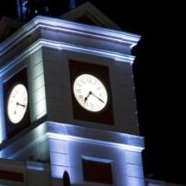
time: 7:18
